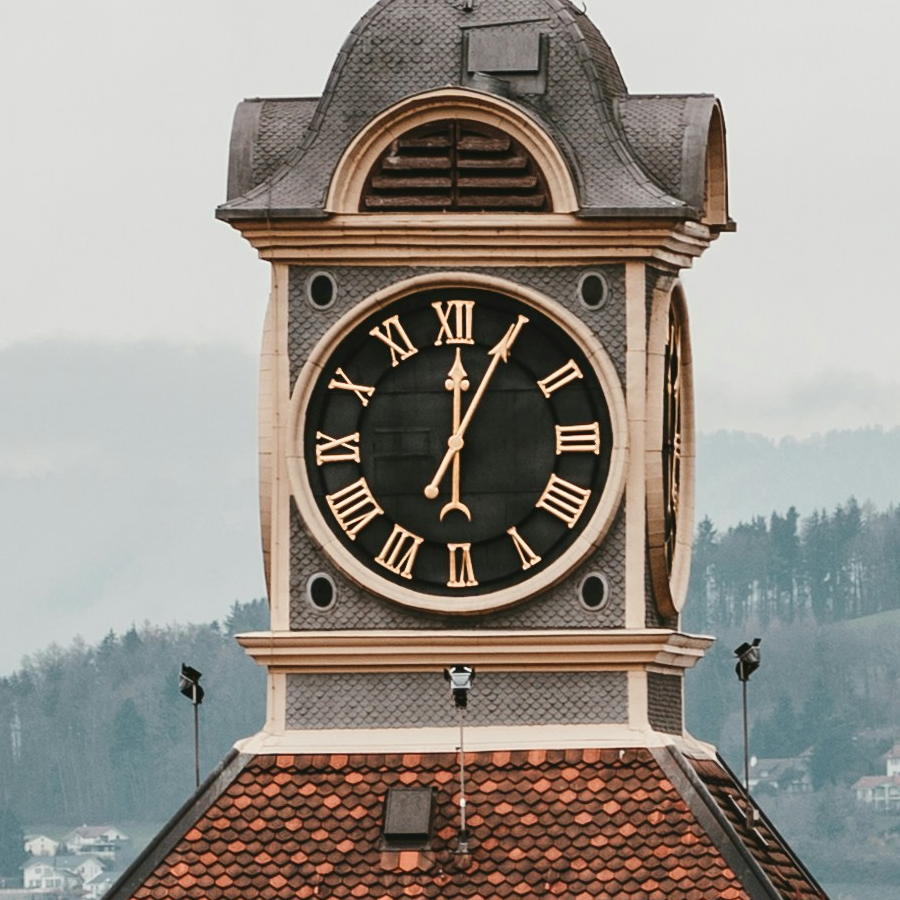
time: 12:04
